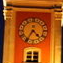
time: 4:35
